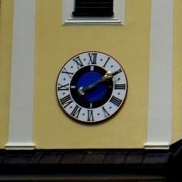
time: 8:09
